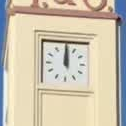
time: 12:00
